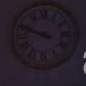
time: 9:48
